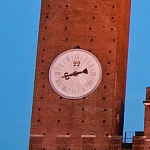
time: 8:12
